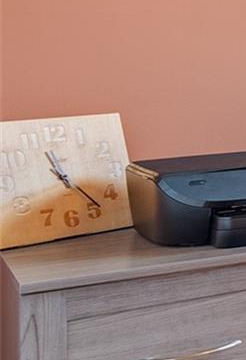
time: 11:23
